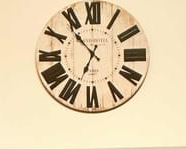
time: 6:53
